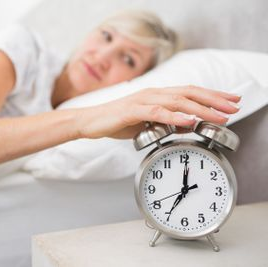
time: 7:00
